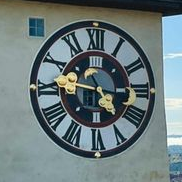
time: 4:46
